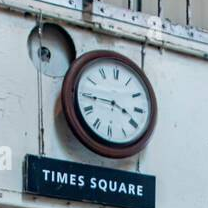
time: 3:44
